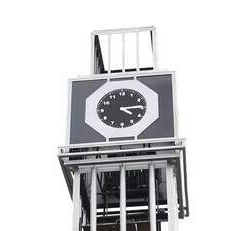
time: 4:14
